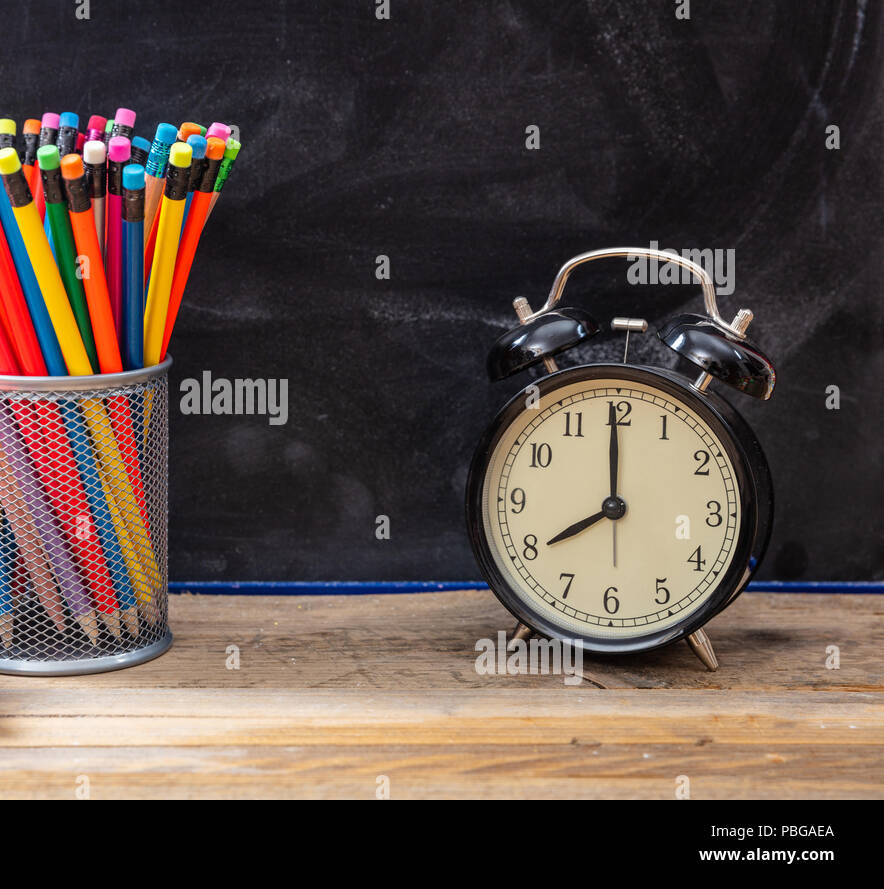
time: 7:59
